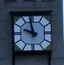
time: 9:57
